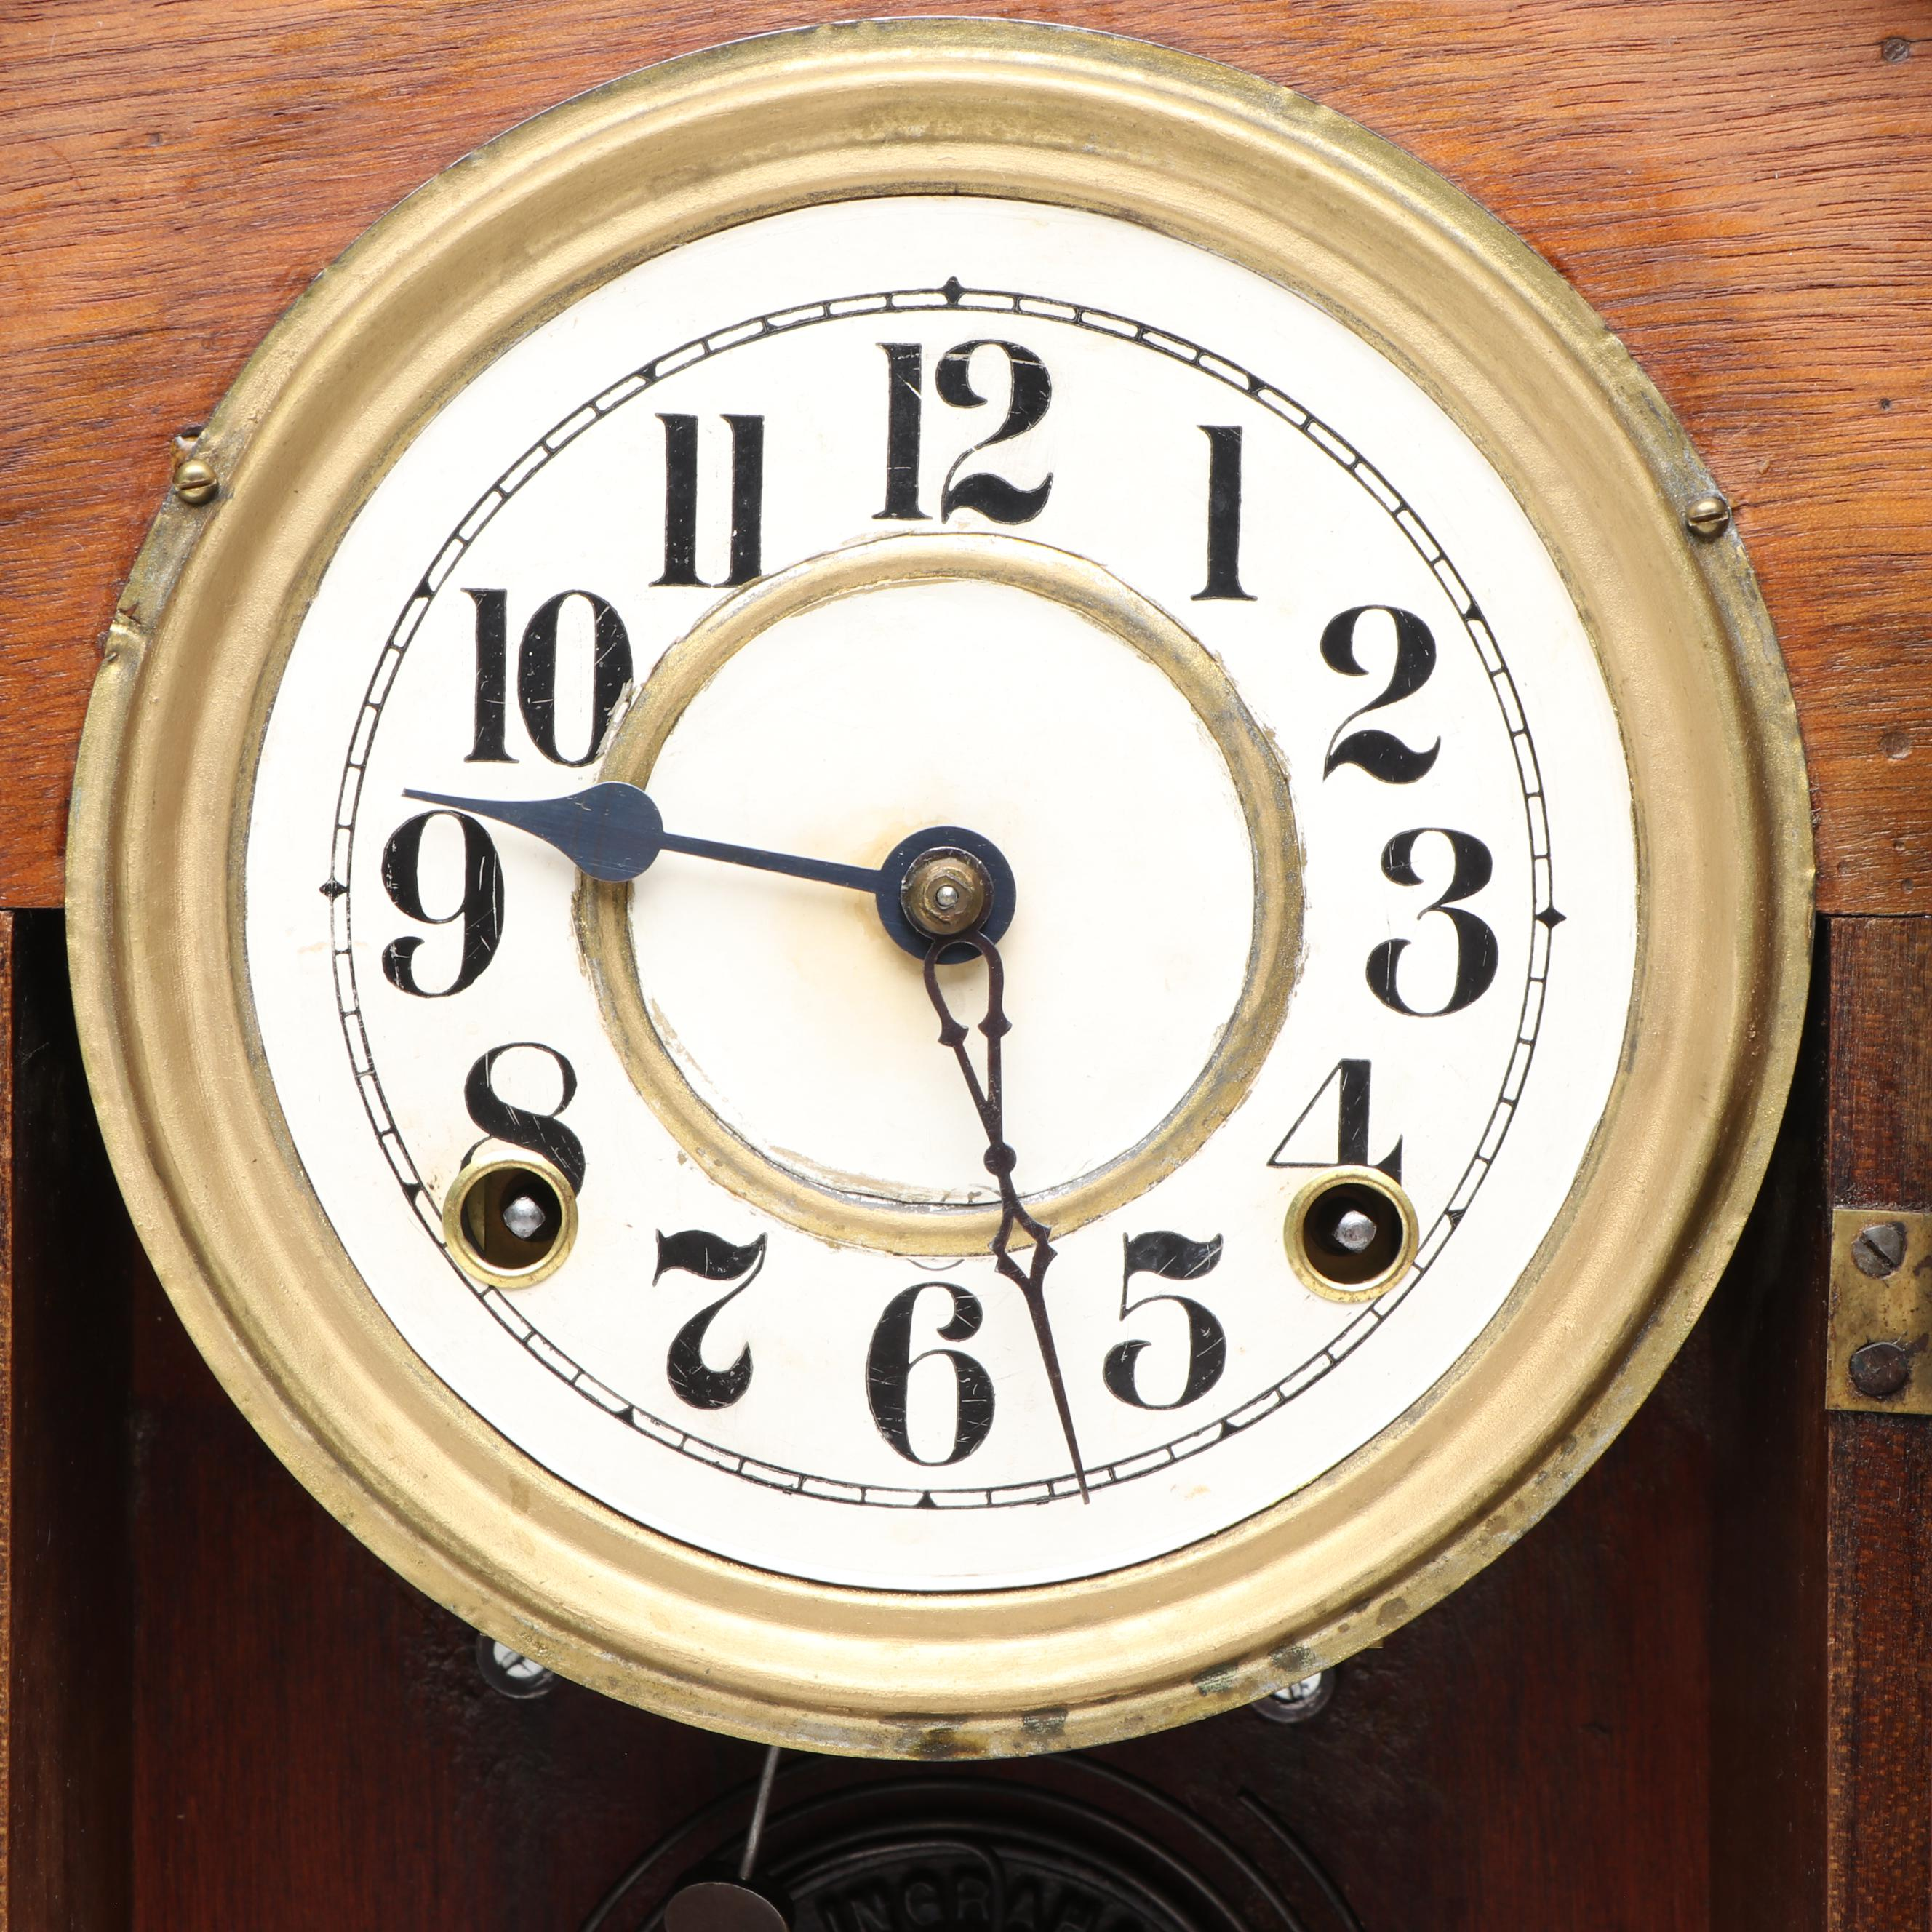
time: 9:27
